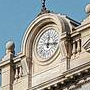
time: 12:16
